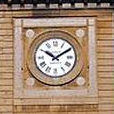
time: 10:09
